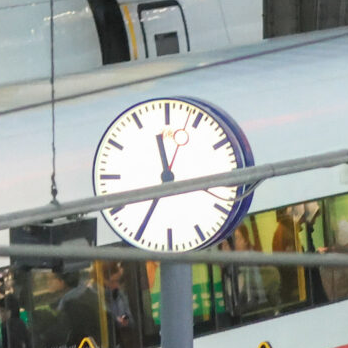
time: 11:34
